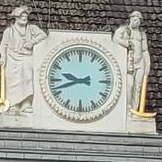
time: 9:42
